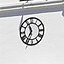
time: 6:56
